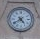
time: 4:39
